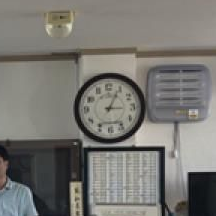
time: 3:04
